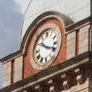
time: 10:18
